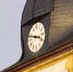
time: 3:48
